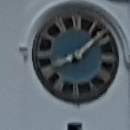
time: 8:07
